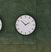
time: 1:52
